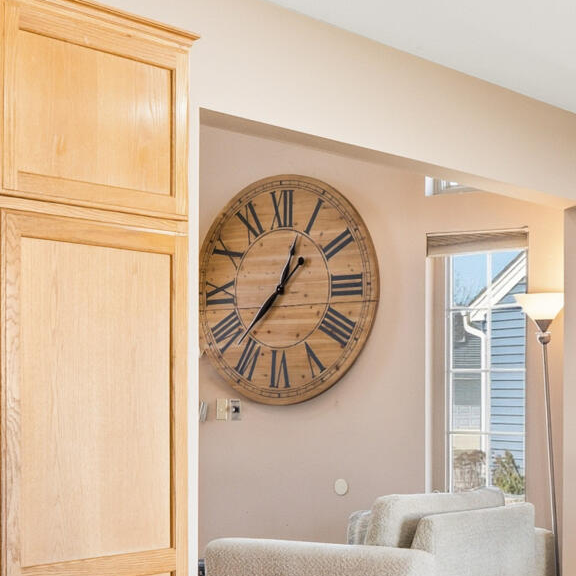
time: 12:37
